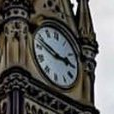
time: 2:48
